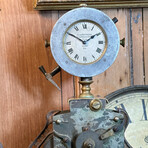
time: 1:50
